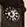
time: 10:36
